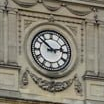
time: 2:52
